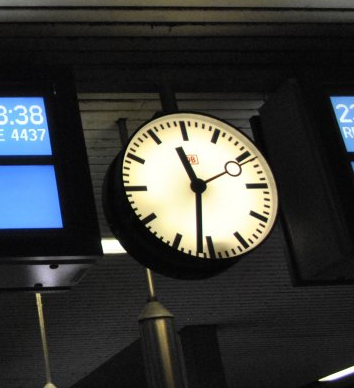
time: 11:31
